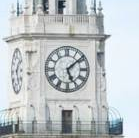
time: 5:08
